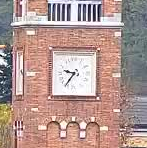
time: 9:36
